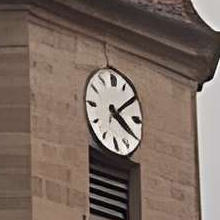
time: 4:09
